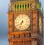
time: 7:33
